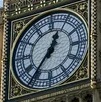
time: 12:36
